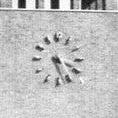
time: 5:18
